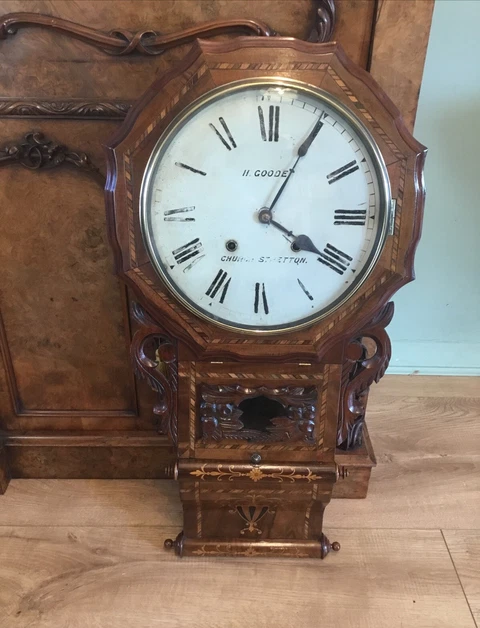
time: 4:04
